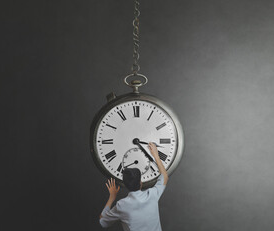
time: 3:22
